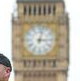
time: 3:02
